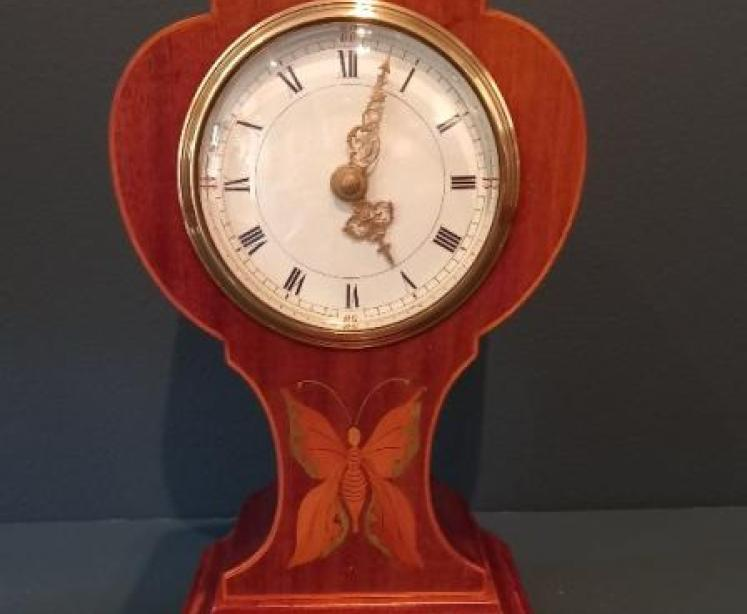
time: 5:02
